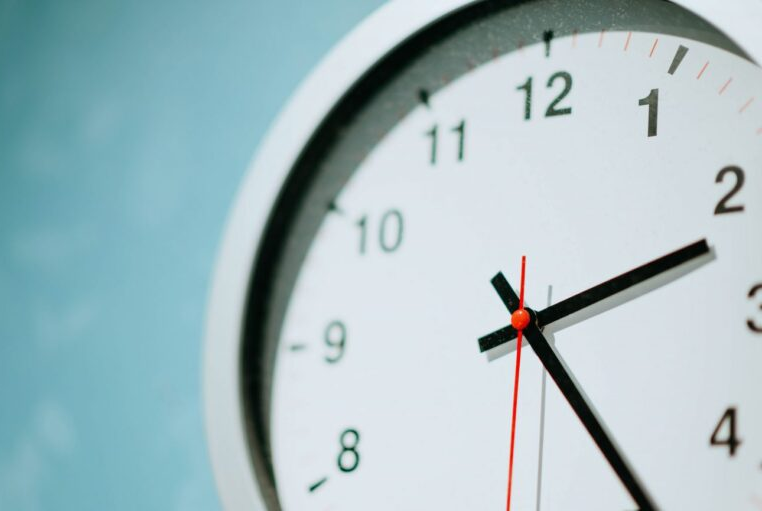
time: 2:23
